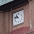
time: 10:47
